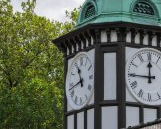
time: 11:42
